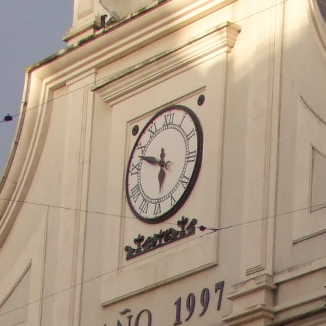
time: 5:48
